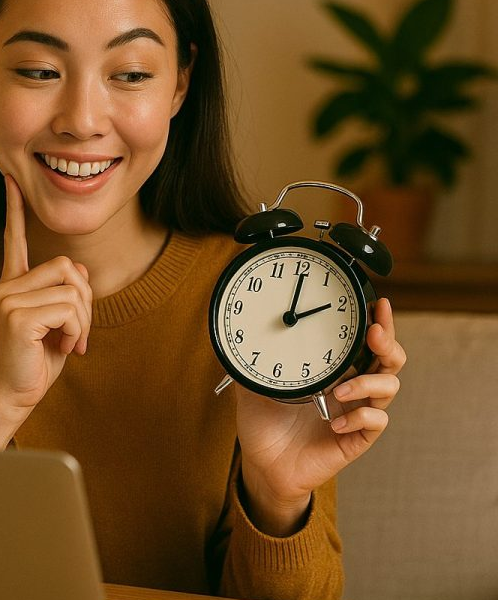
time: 2:00
